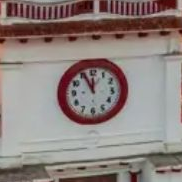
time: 11:55
